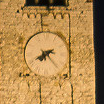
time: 7:40
